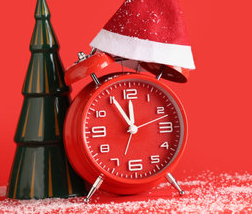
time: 11:54
